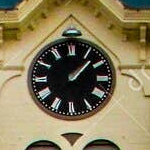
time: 1:07
